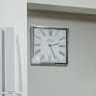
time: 2:26
